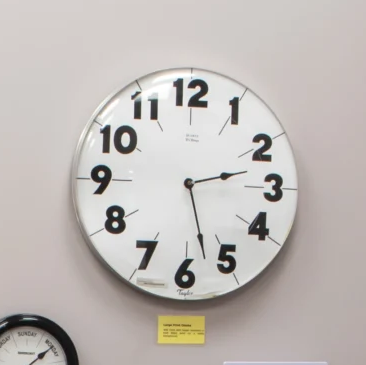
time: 2:27
